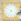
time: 6:49
